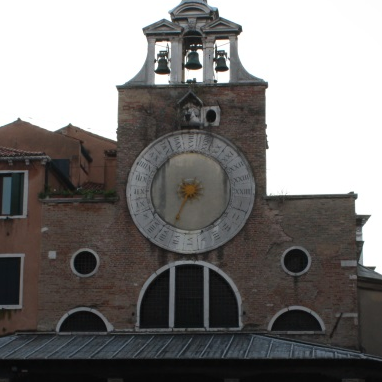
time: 8:34
